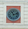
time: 11:12
